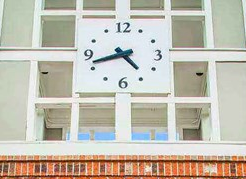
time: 4:42
